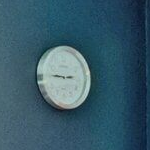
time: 2:46
